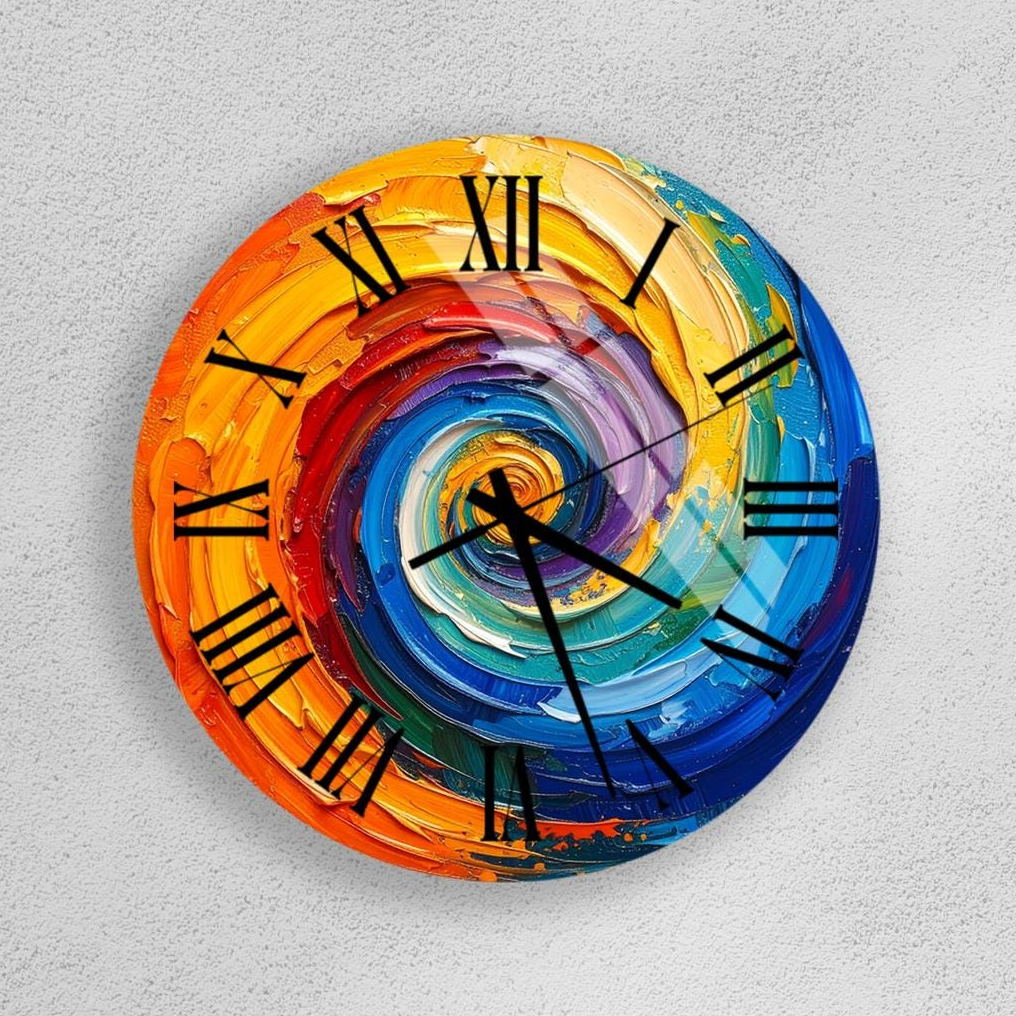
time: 5:19
